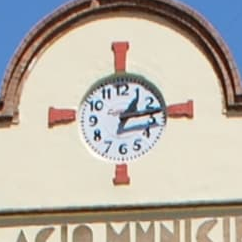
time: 1:13
